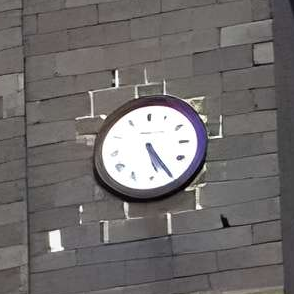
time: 5:25
